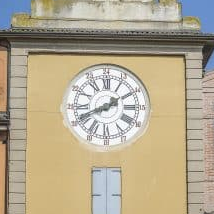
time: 1:41
